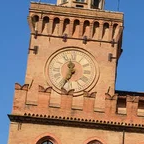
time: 11:34
